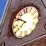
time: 7:51
